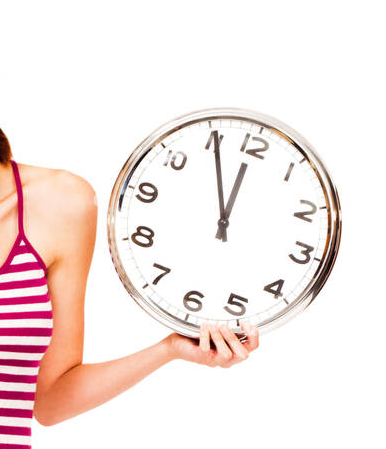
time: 11:55
